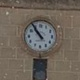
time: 10:54
